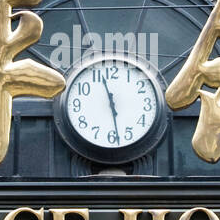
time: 11:28
